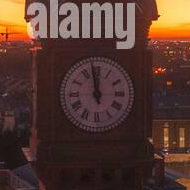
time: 11:58
